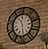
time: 11:29
